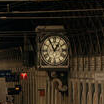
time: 12:55
